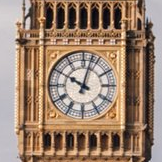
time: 10:02
